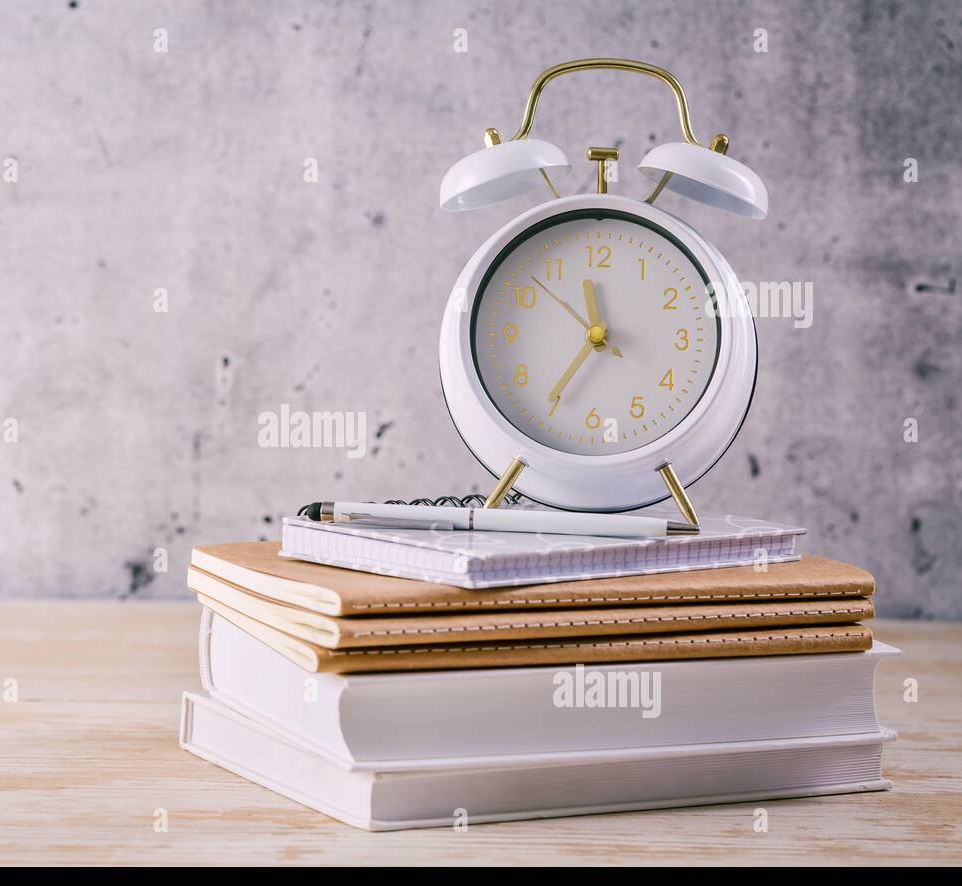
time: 11:35
